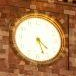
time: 4:26
